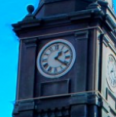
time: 1:21
